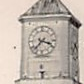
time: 3:37
